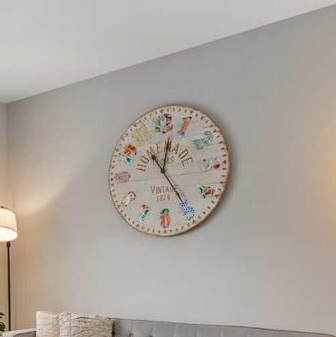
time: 12:24
